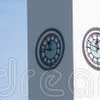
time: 11:46
